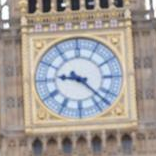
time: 9:22
